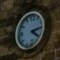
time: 4:13
